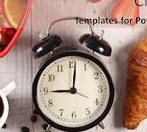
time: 9:01
